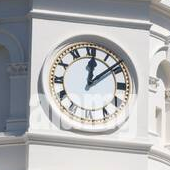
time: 12:08
